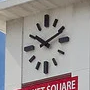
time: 10:11
